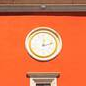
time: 12:13
